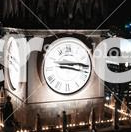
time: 3:17
